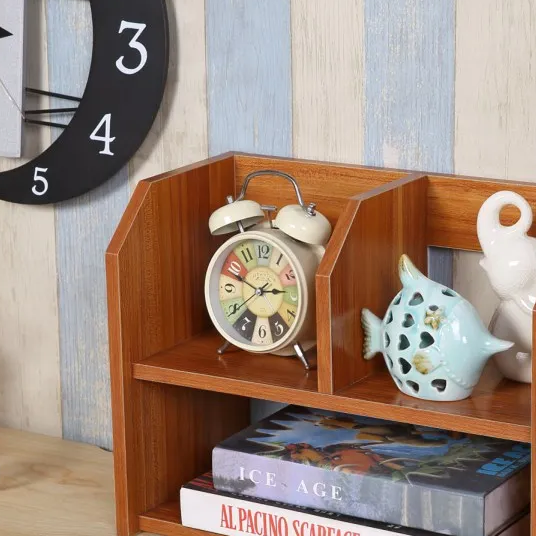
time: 2:48
